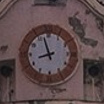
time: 8:57
